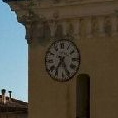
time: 7:25
